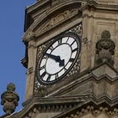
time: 4:51
